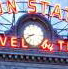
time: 8:41
